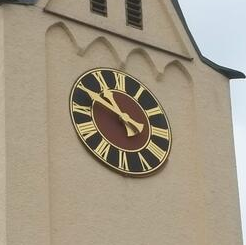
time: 10:49
